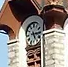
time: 5:15
